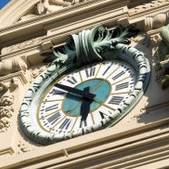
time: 5:51
